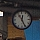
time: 12:25
